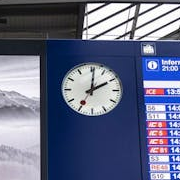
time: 2:01
